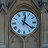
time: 12:21
